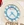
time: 7:22
